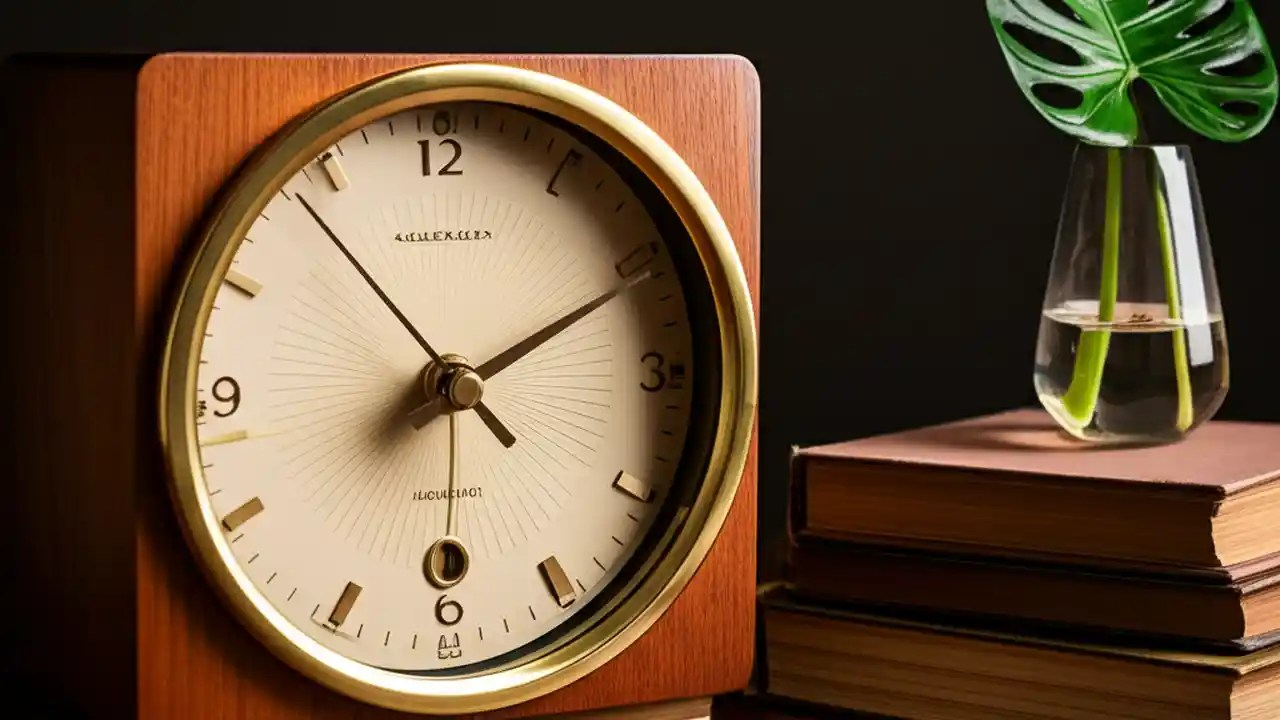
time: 2:10
